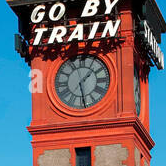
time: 1:28
